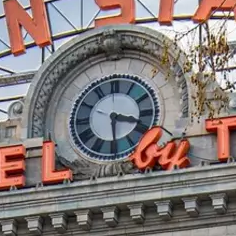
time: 3:29
